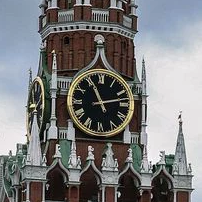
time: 11:12
